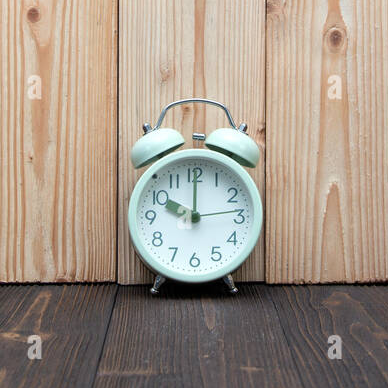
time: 10:00
